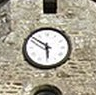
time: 5:51
